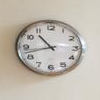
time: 10:42
